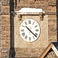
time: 10:21
